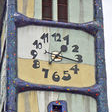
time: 1:16
